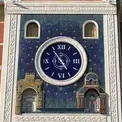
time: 4:54
